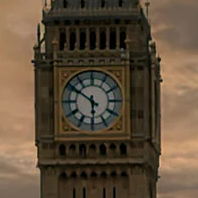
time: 5:50
